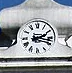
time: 2:17
